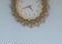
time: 4:42
